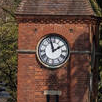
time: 1:57
